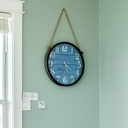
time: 4:14
